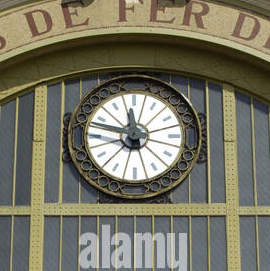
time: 11:47
